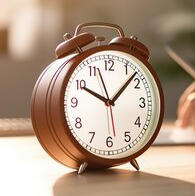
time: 10:07
